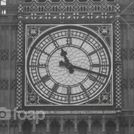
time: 11:17
